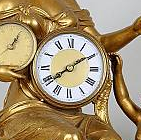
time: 8:09
